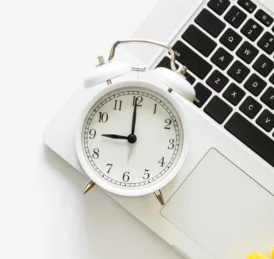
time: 8:59
